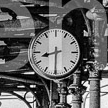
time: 8:30
